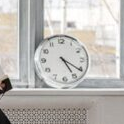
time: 5:20
